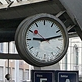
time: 9:12
